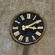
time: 3:09
